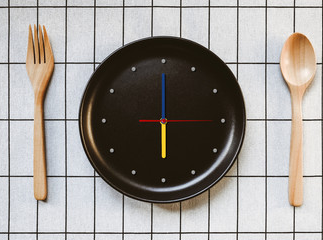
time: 5:59
